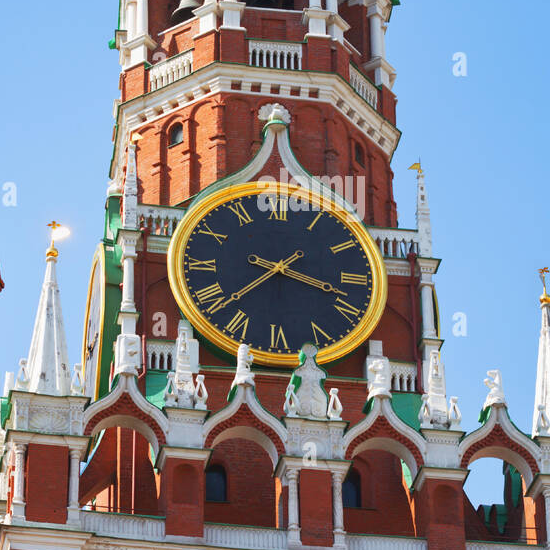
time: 3:38
